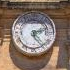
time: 2:24
